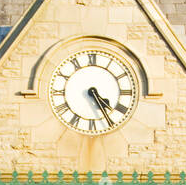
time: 4:25
